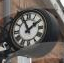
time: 1:56
